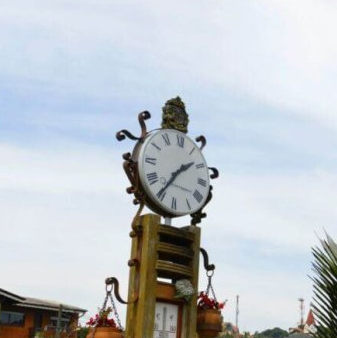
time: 1:35
